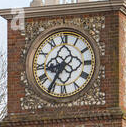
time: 8:35
